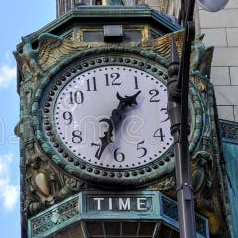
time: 1:33
